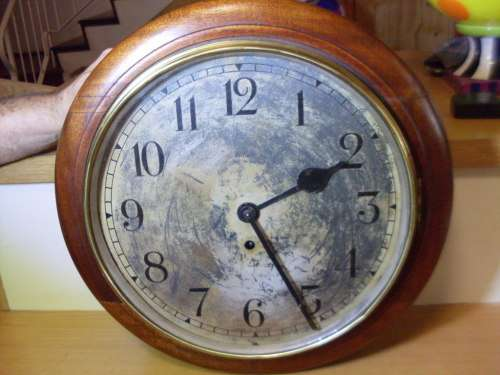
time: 2:25
